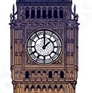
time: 2:00
